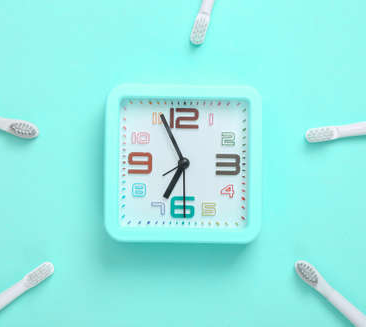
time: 6:55
